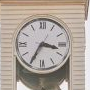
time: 3:34
